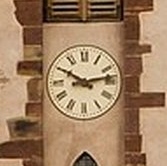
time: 10:13
